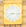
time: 8:16
